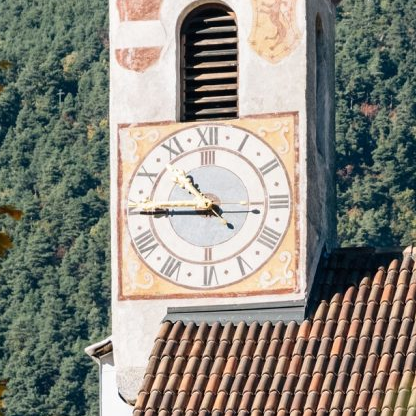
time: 10:45
